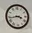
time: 3:43
